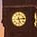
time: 5:13
